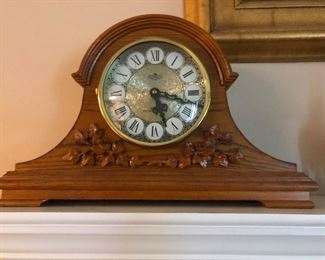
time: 5:18
